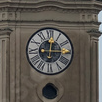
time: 12:14
